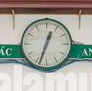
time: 12:33
